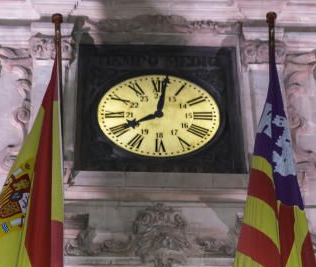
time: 8:01
